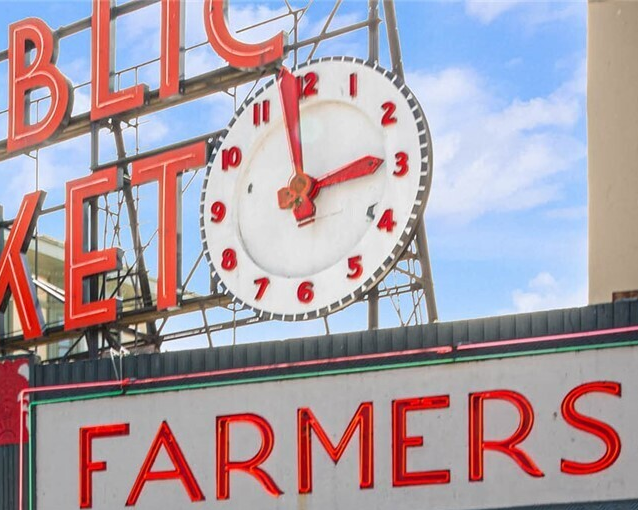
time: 2:58
